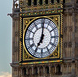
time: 7:01
